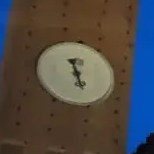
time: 5:27
